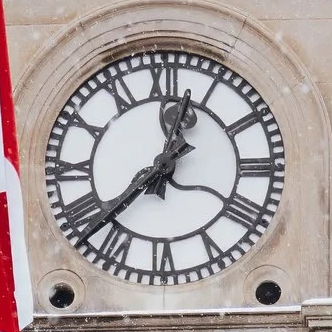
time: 12:37
